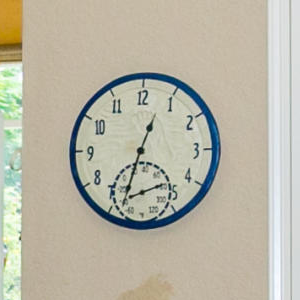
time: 12:32
